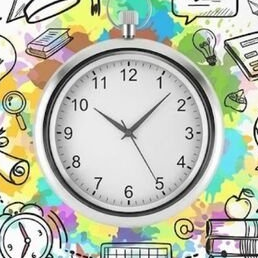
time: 10:07
